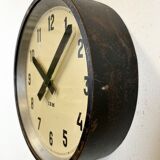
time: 10:07
